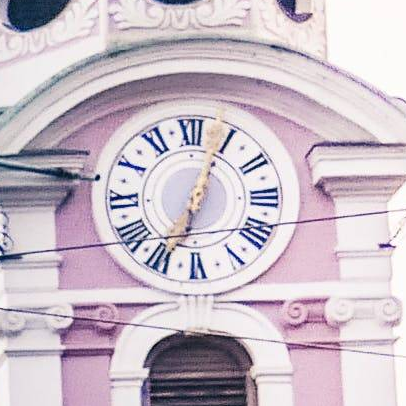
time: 7:04
